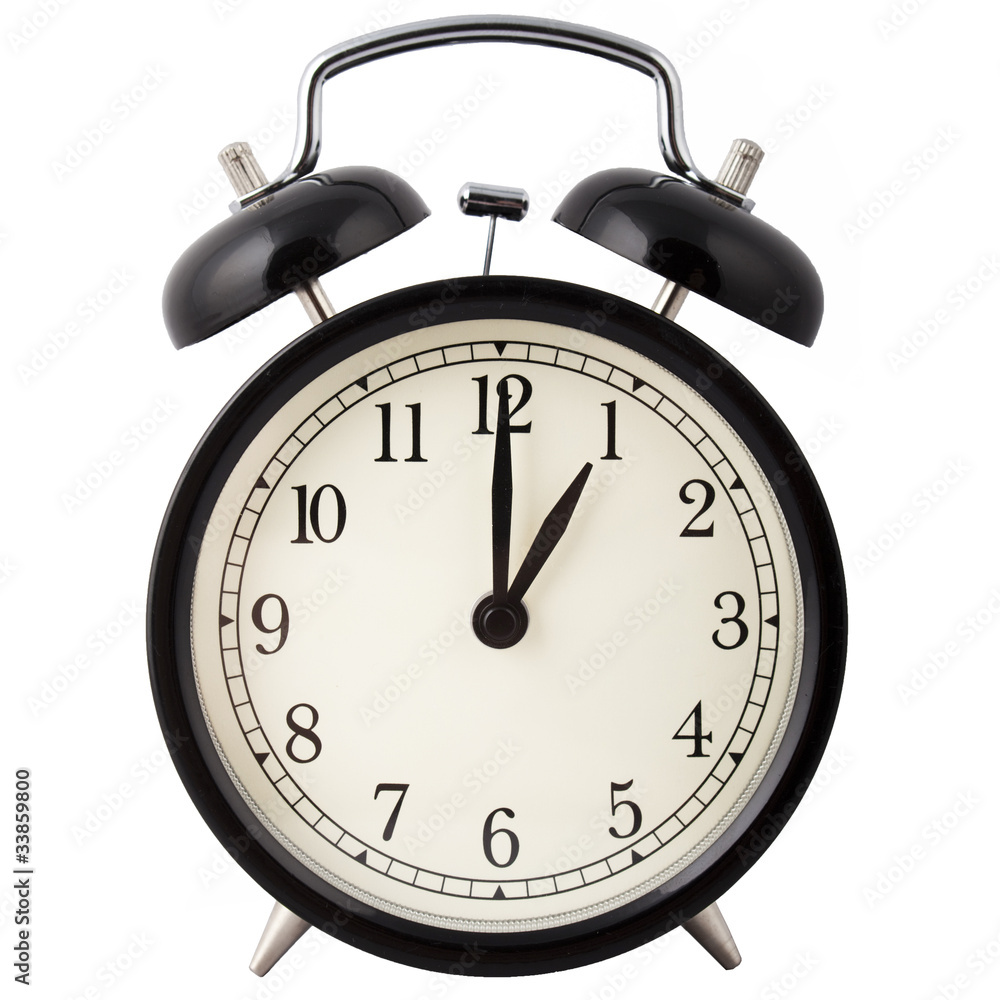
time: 1:00
